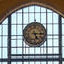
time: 5:14
